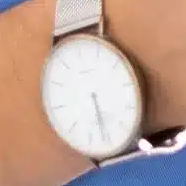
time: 5:26
